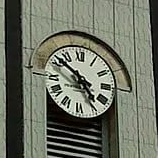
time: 4:51
